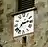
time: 2:38
